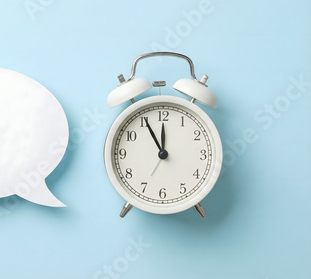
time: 11:55
